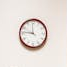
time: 11:46
